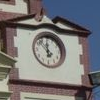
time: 11:52
